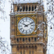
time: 10:10
